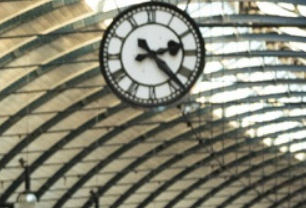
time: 2:23
